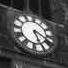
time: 5:18
